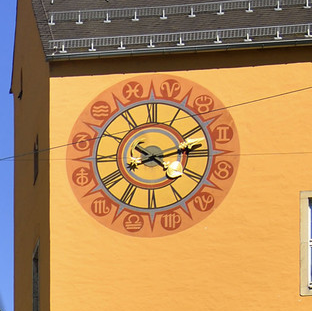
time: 4:12
